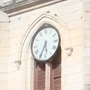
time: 5:34
